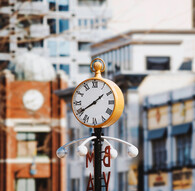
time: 1:39
